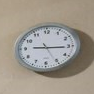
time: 9:15
